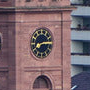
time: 8:14
